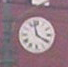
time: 3:58
